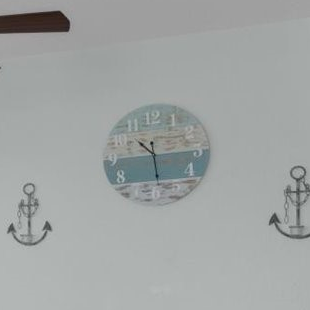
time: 10:28
